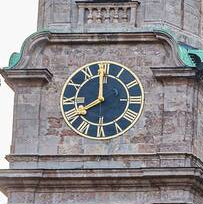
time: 7:59
